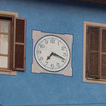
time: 7:18
